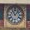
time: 11:07
